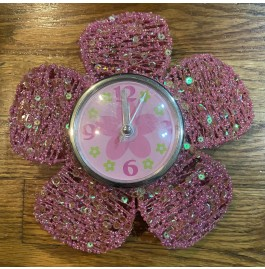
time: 12:05
